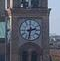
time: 2:31
